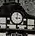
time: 3:02
